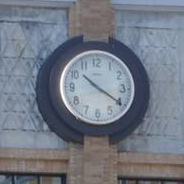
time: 10:20
